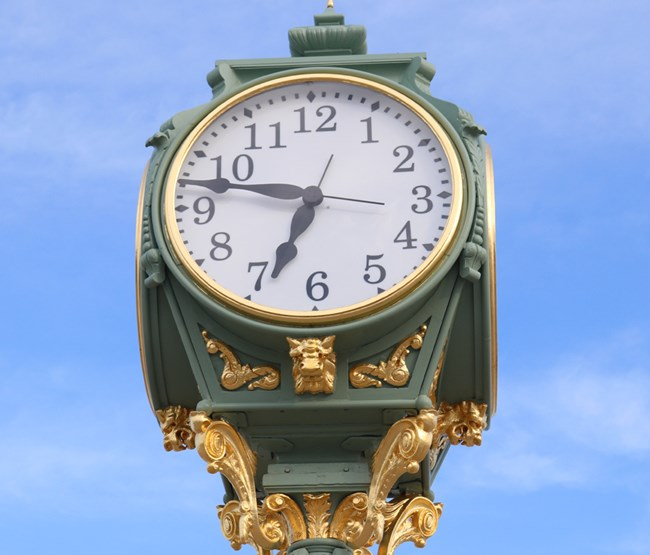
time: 6:47
